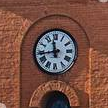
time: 11:43
